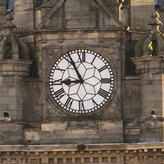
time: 8:55
